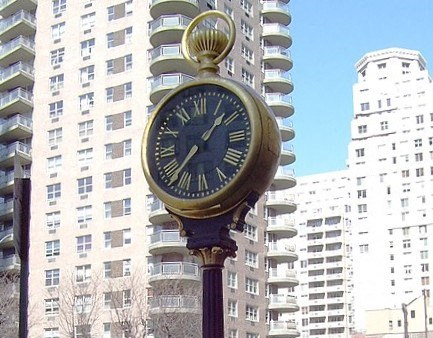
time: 1:37
